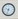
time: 9:33
